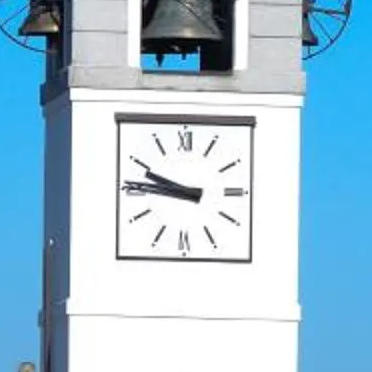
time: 9:45
